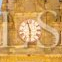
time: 5:57
